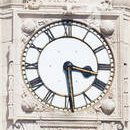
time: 3:29
